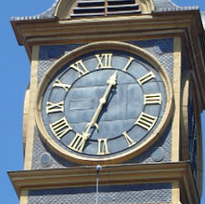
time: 12:33
